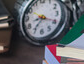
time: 8:36
